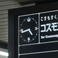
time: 4:42
